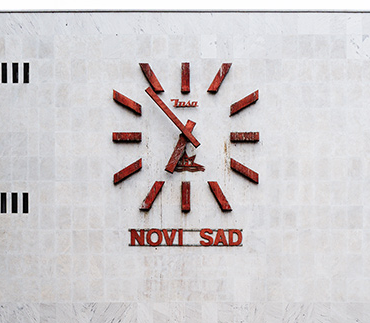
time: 6:53
